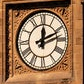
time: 12:11
